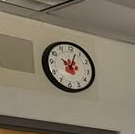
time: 10:02
